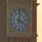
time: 4:01
